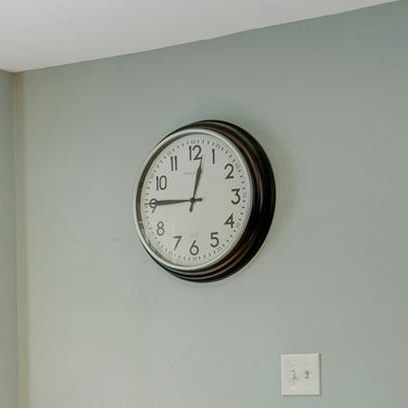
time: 12:45
